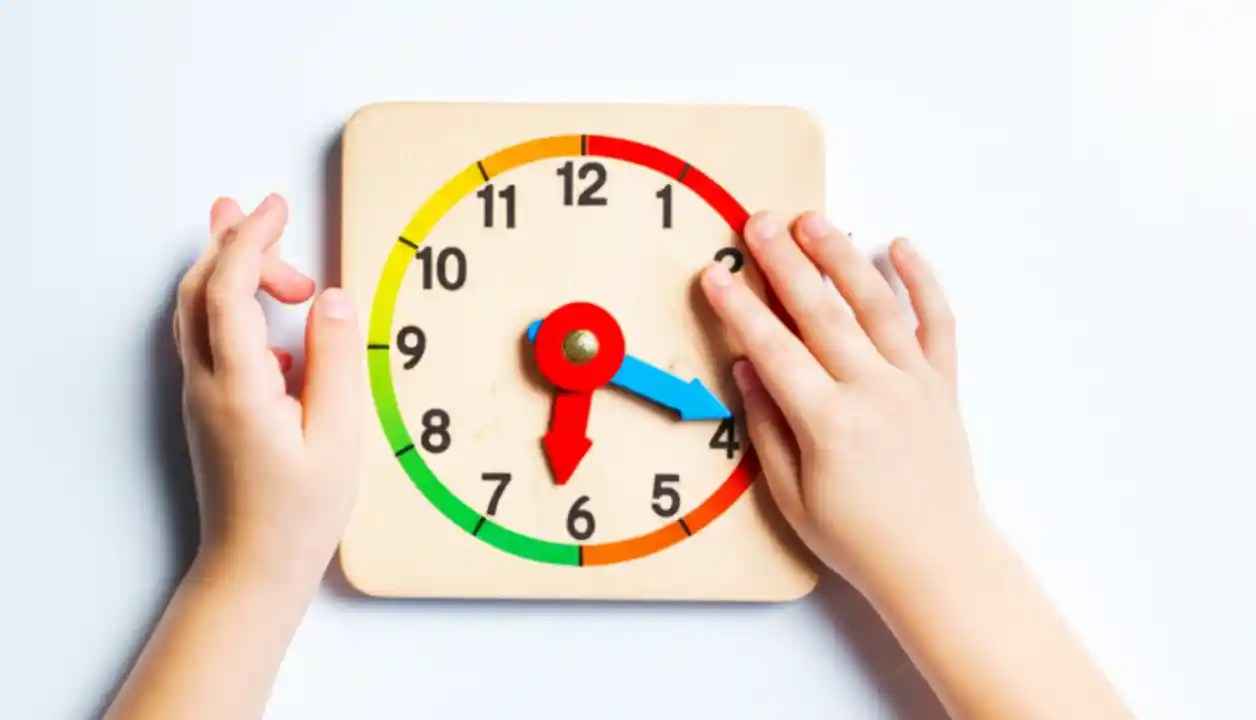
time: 6:18
